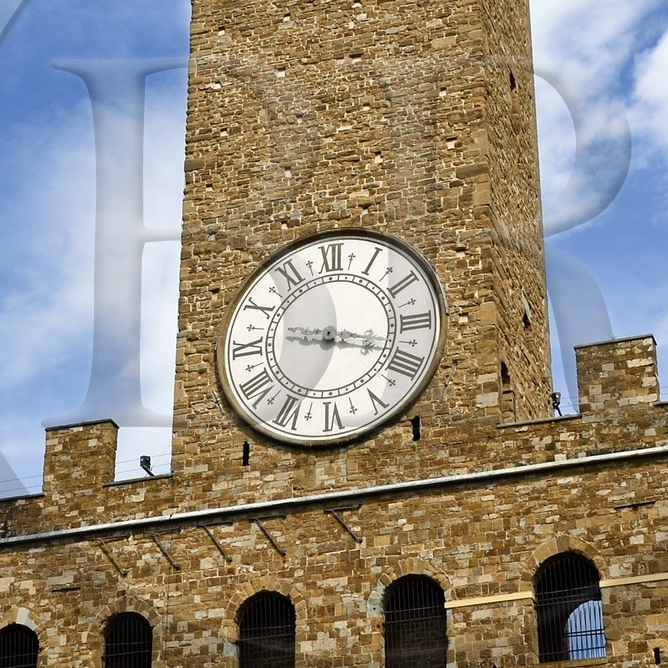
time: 9:17
